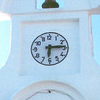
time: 6:14
